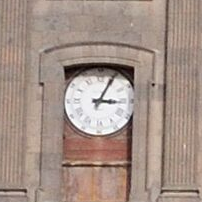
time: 3:04
